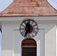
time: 11:35
